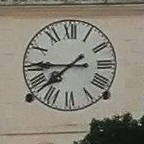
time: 7:45
